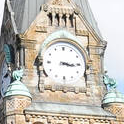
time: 3:15
